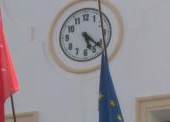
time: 5:21
